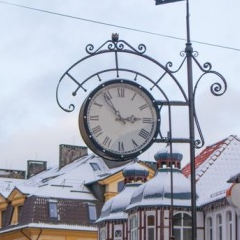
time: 2:53
